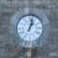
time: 1:02
